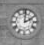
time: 2:01
